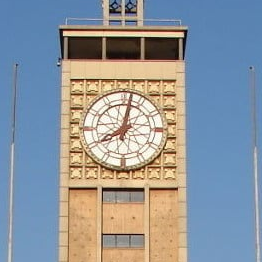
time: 8:01
